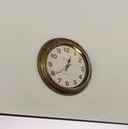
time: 12:39
